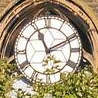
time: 11:10
